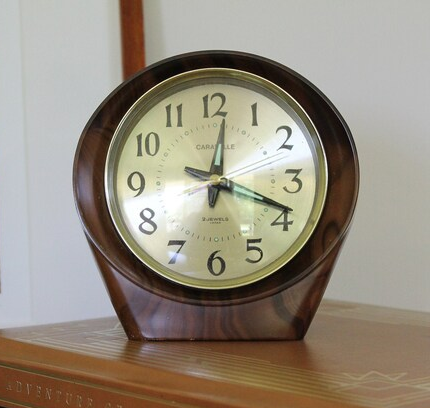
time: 12:18
